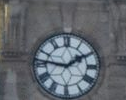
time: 1:46
